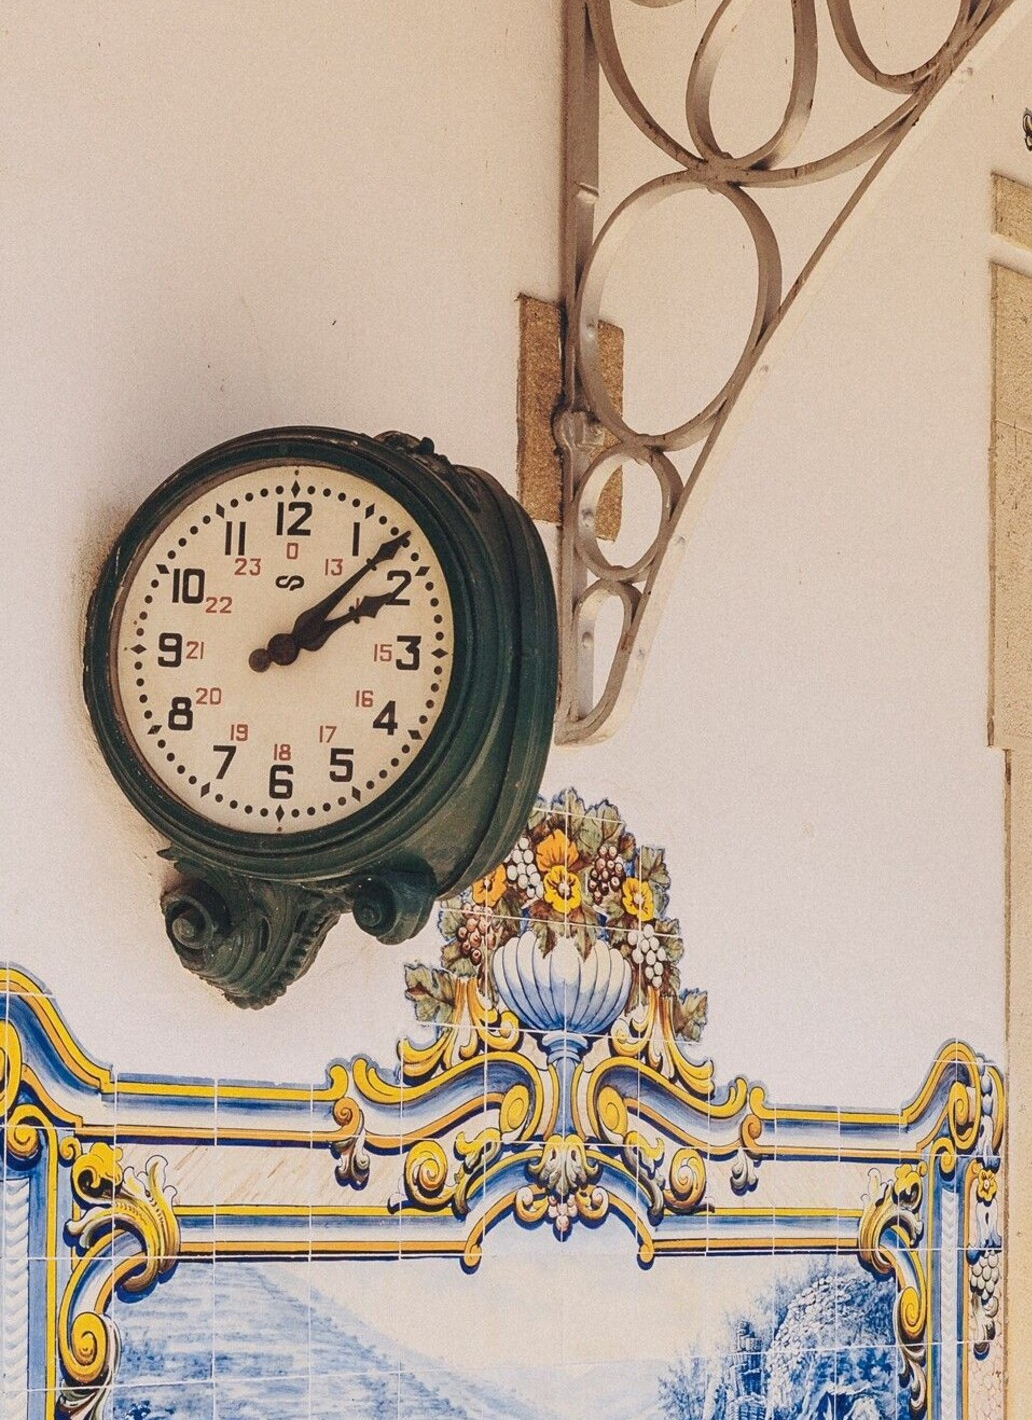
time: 2:07
